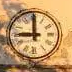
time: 8:59
